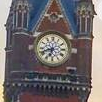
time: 6:41
